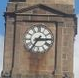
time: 7:15
